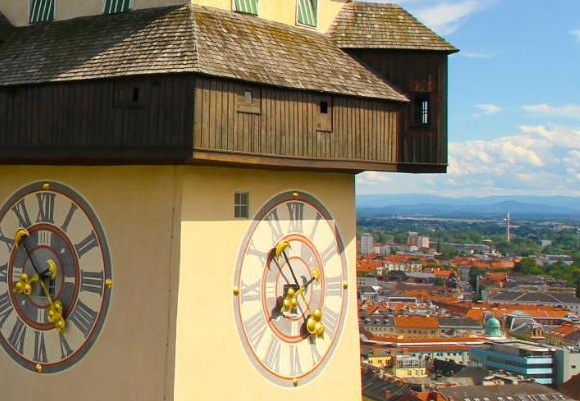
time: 7:24
